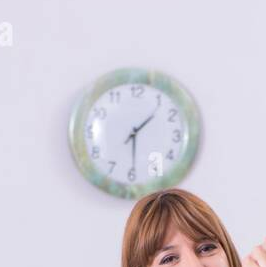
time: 1:29
